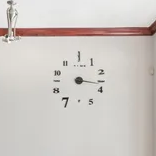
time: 3:16
